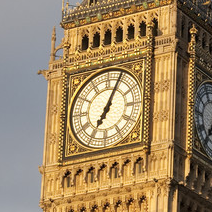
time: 7:04
